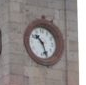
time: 10:26
